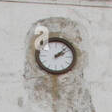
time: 2:07
